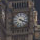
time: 4:18
